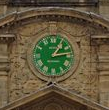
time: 1:13
